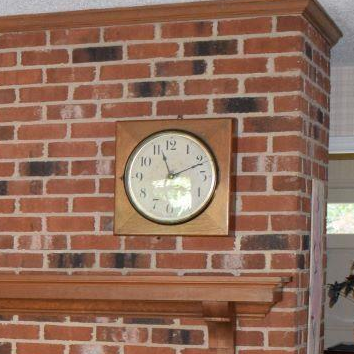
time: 11:11
